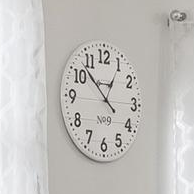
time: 12:52
